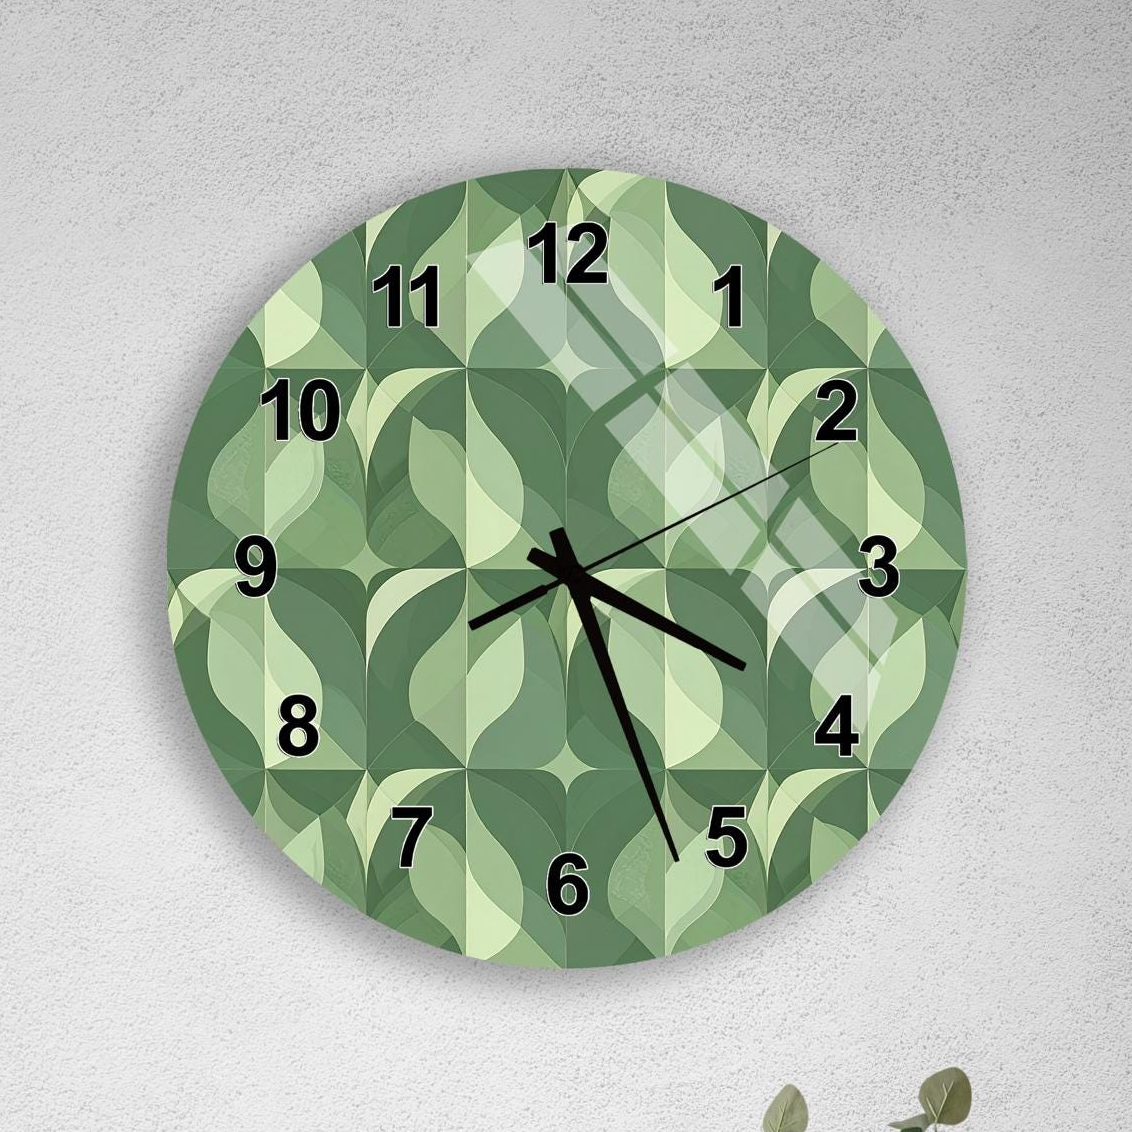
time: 5:19
